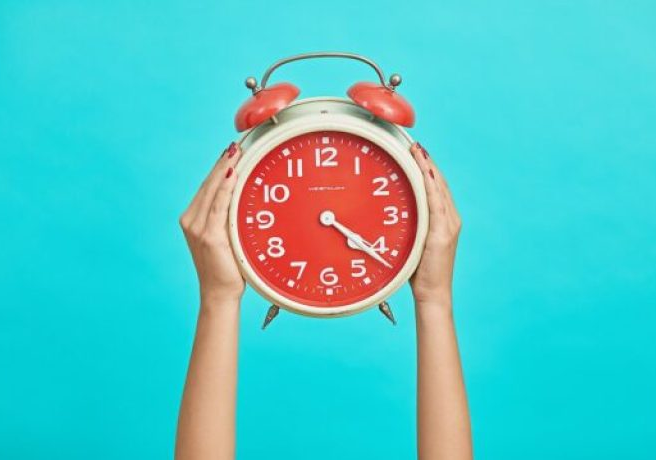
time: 4:21
